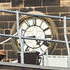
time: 4:44
